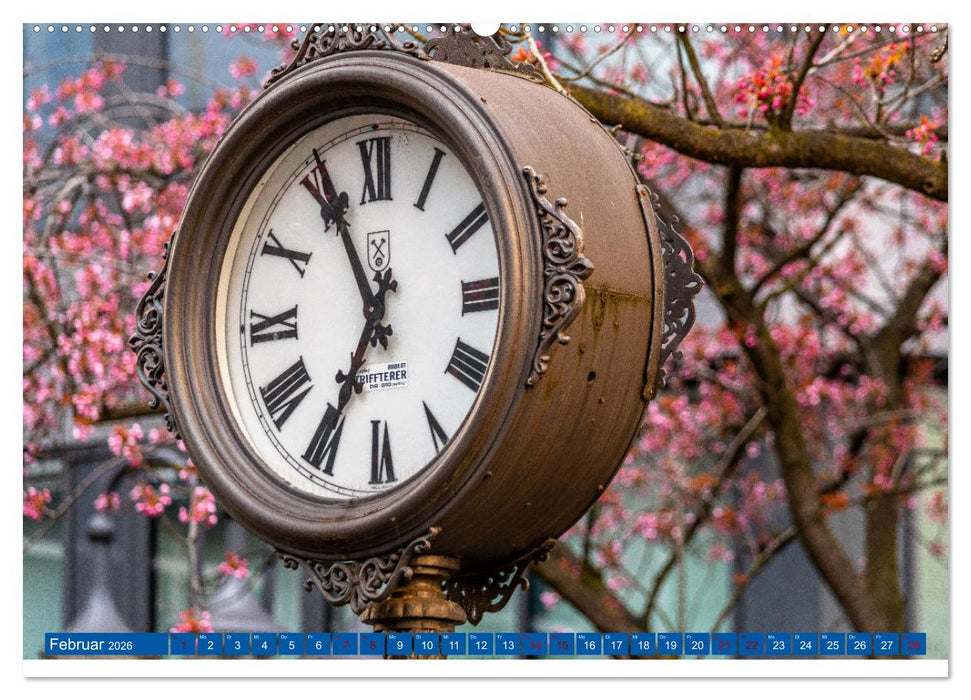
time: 6:55
